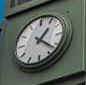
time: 1:21
